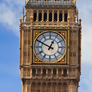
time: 12:49
